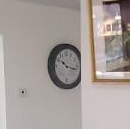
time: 10:17
